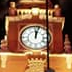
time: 12:02
